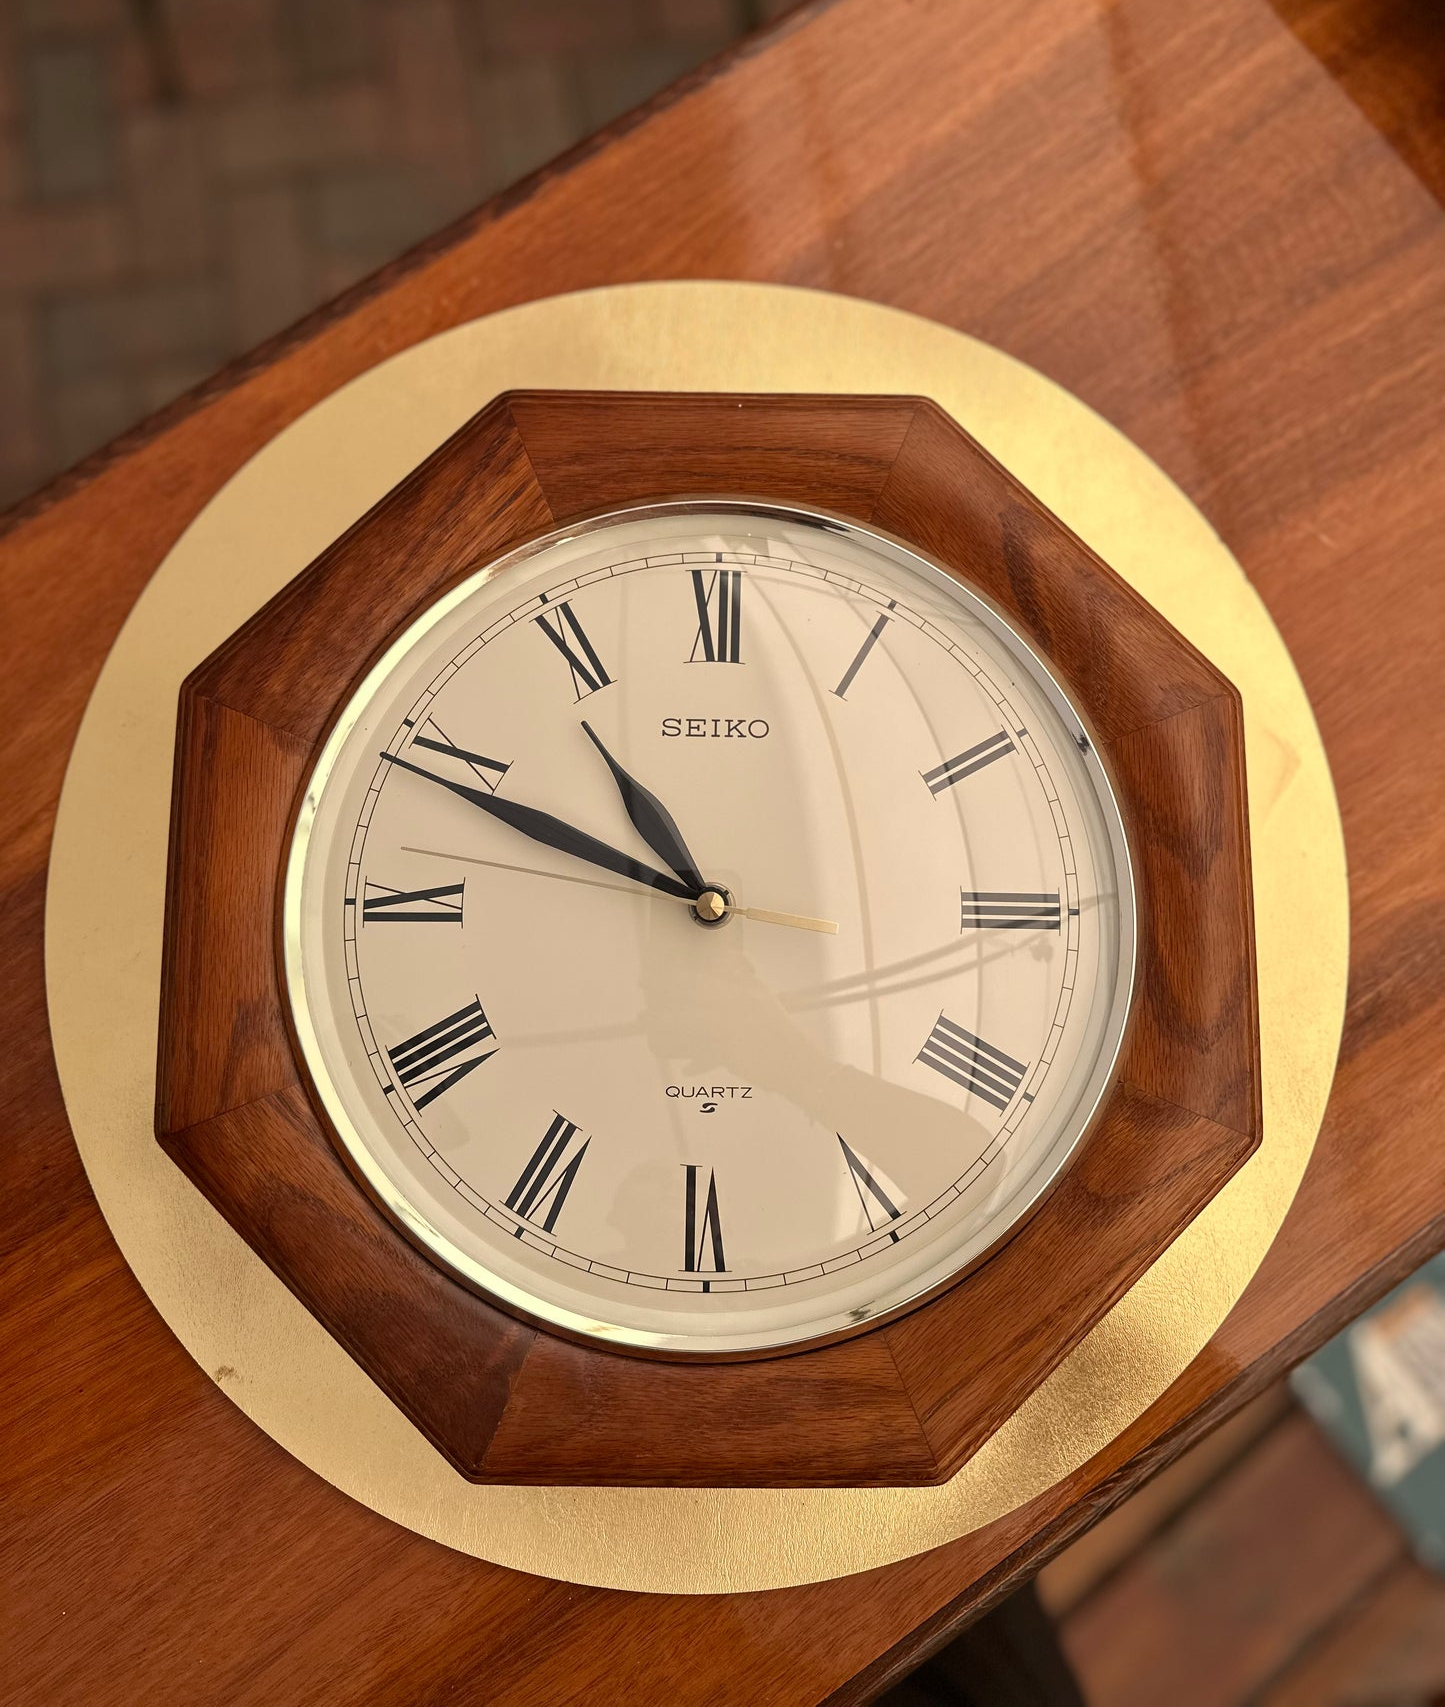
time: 10:48
